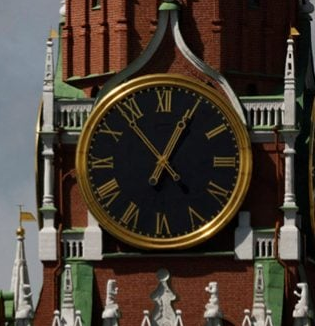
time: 12:53
